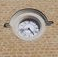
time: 4:42
